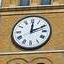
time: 12:10
